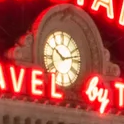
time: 10:12
